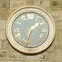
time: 1:32
